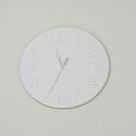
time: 11:34
